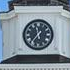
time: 11:35
